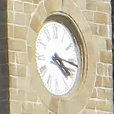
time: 4:16
